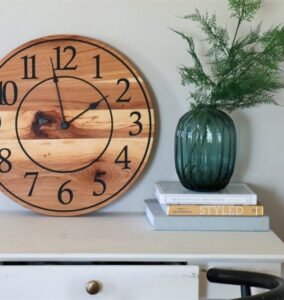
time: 1:58
